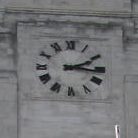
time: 2:16
